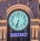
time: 6:32
